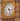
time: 3:27
